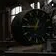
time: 12:45
